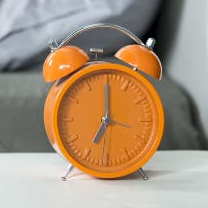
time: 7:00
